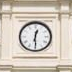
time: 12:29
